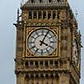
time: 4:04
